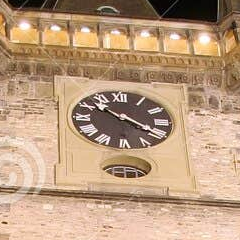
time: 10:20
